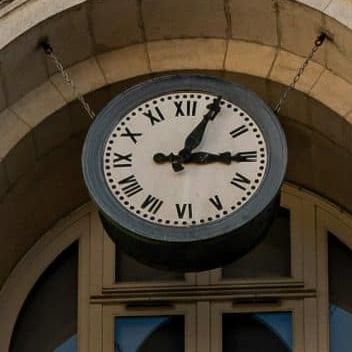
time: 3:04
